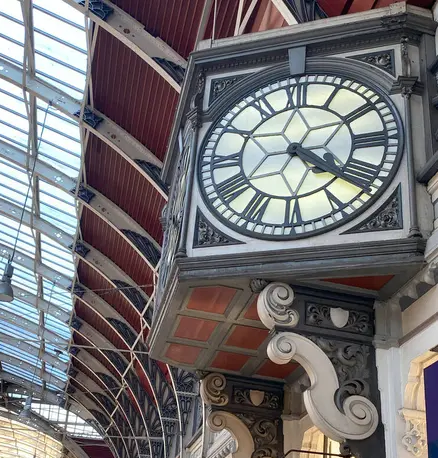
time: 4:20
